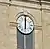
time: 6:00
